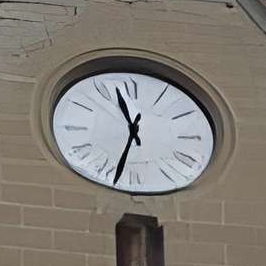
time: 11:32
